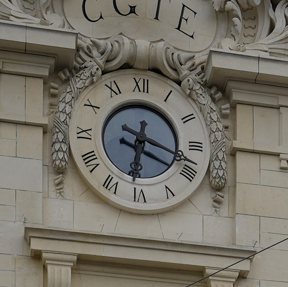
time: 6:18
